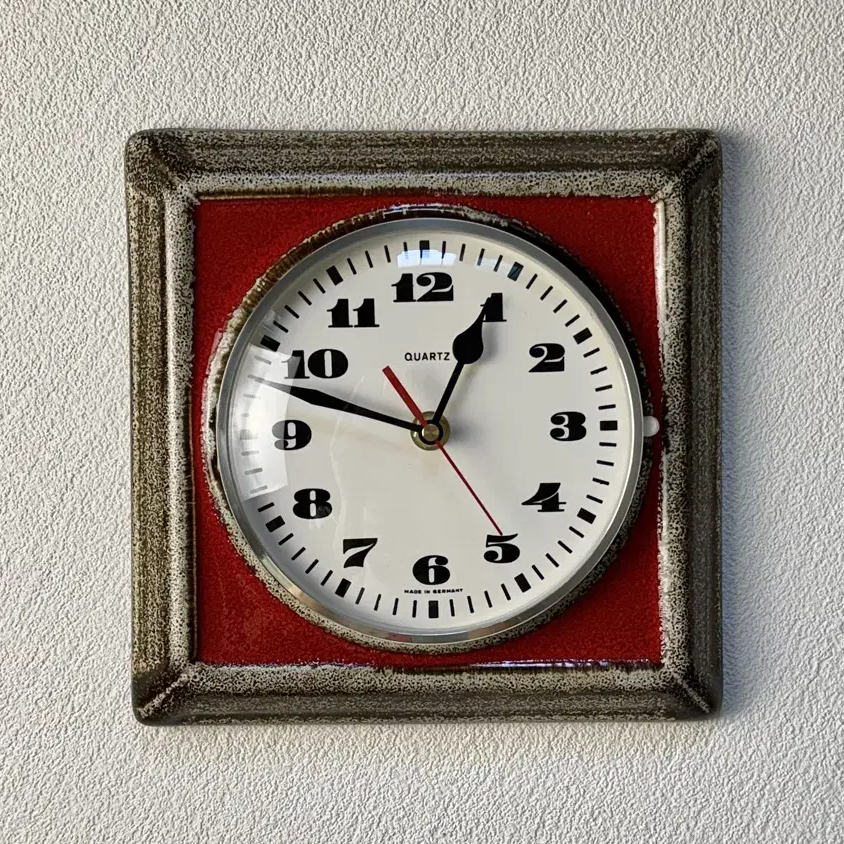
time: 12:47
